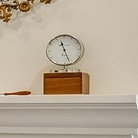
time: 11:26
